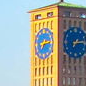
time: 7:13
